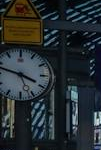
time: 3:47
